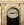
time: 9:12
